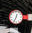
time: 12:34
